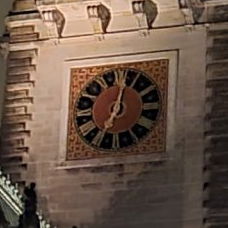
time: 7:01
